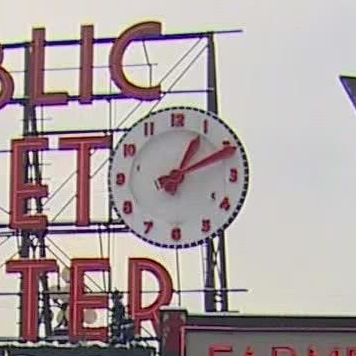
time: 1:10
